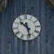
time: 10:28
